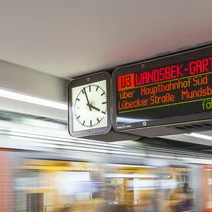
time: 3:56
